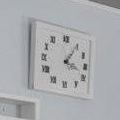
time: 1:18
